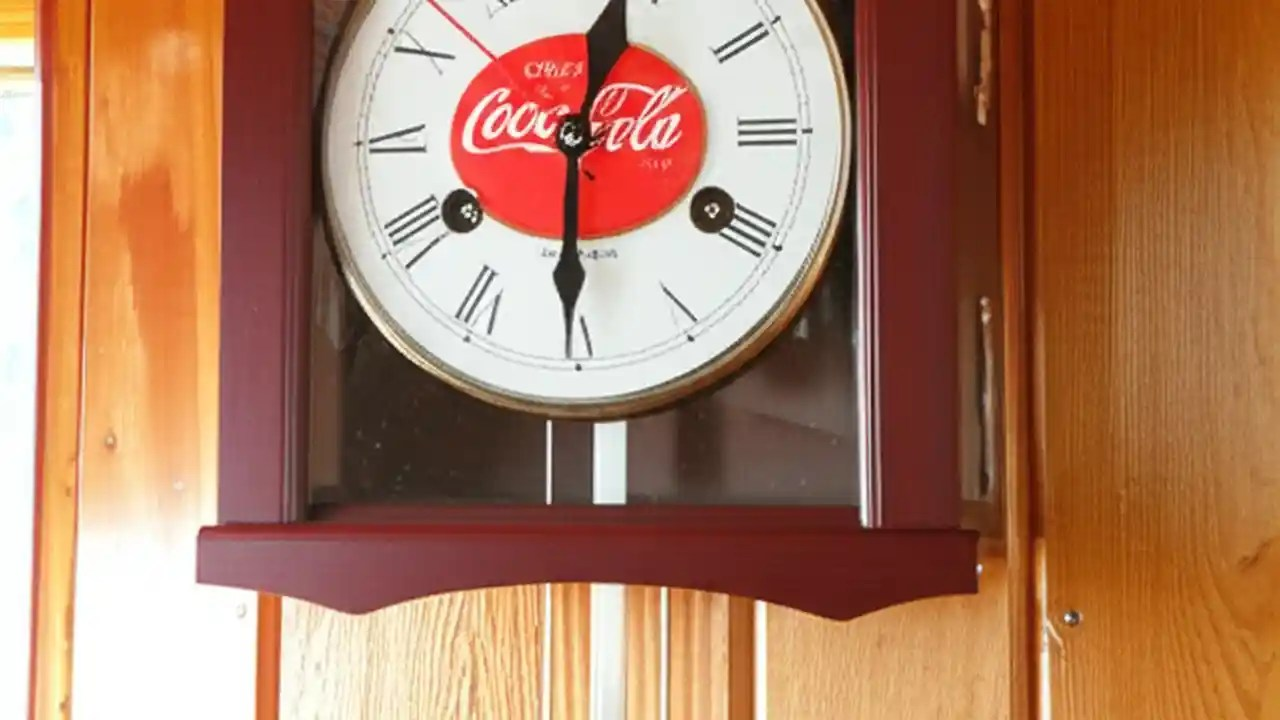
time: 12:30
